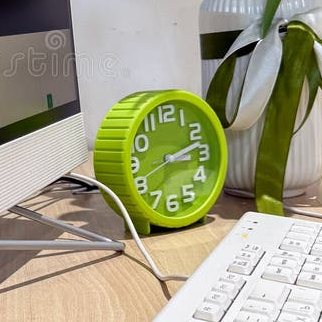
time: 3:12
